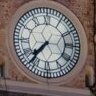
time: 7:36
